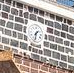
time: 7:32
